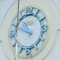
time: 10:48
